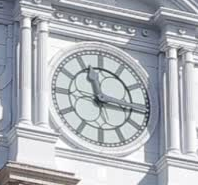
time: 11:15
